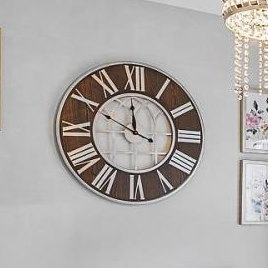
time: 11:49
